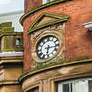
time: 6:15
